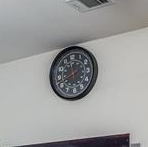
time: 11:41
